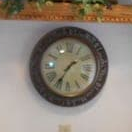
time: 1:35
